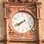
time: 7:40
